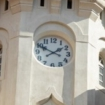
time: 1:49
